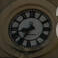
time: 8:35
